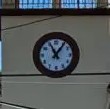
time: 11:06
